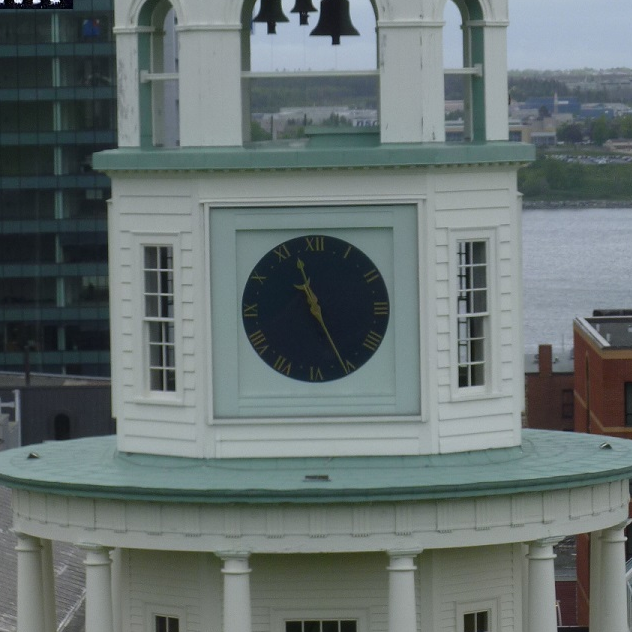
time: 11:25
